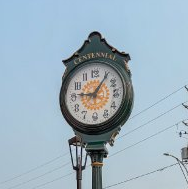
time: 9:05
